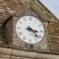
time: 3:22
